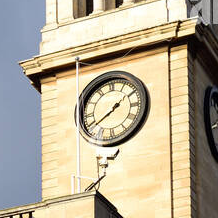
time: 1:39
